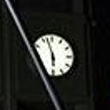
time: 5:57
